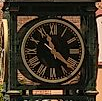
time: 11:21
